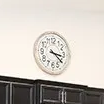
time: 3:21
